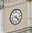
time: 4:22
